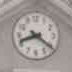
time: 8:21
